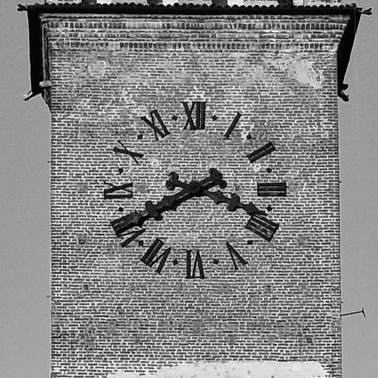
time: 3:40
